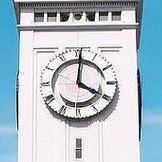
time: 4:00
